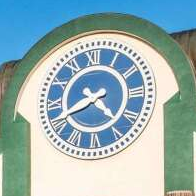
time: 4:41
